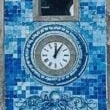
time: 12:05
